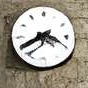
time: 3:40
